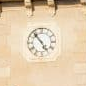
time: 4:53
